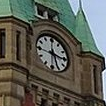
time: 5:15
